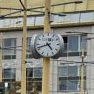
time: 4:41
